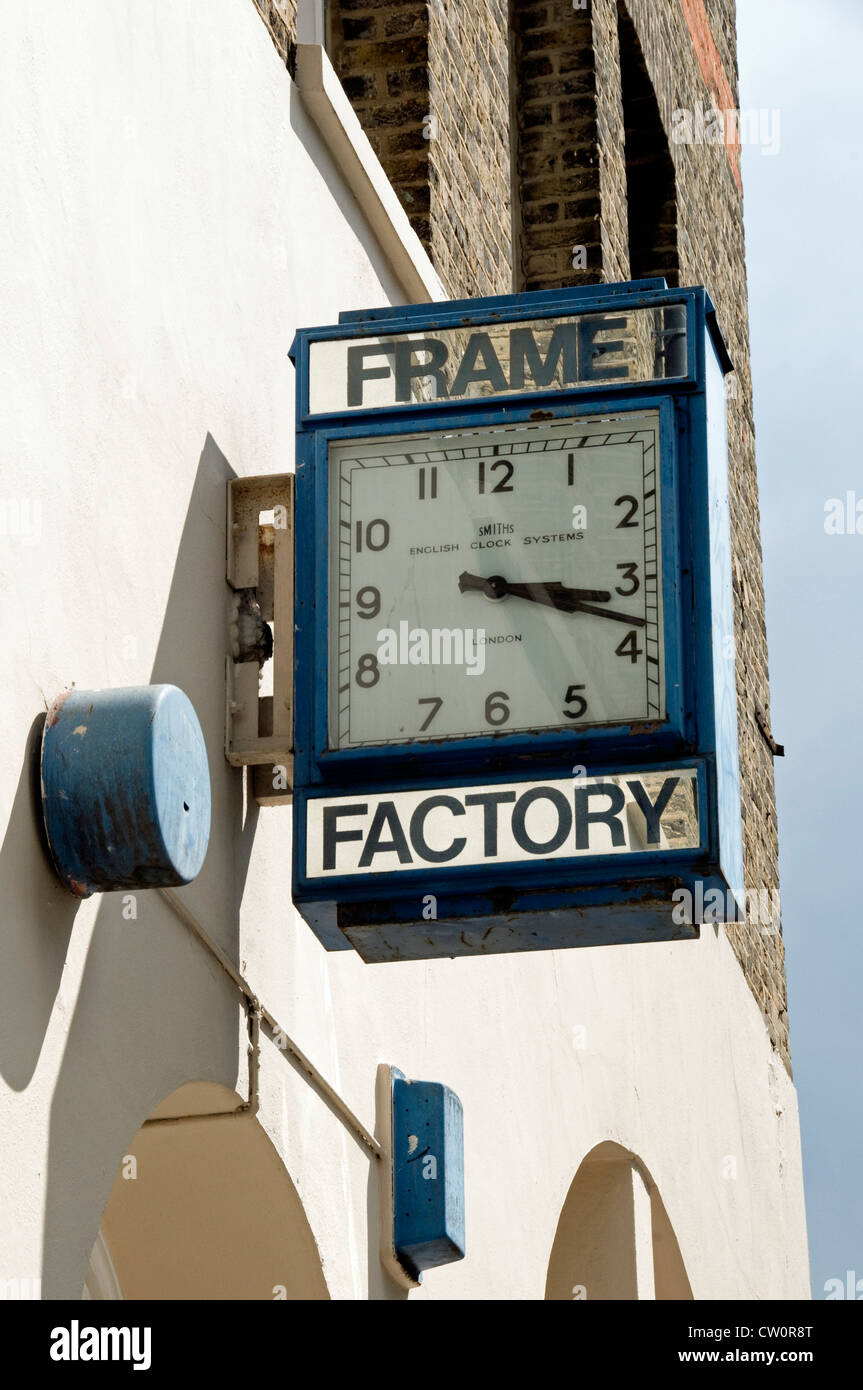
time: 3:17
